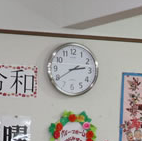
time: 2:39
